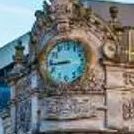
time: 8:43
